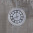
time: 7:59
